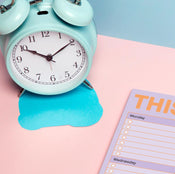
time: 10:09
